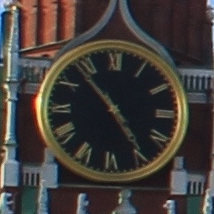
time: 4:53
